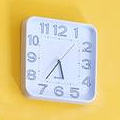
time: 5:36
